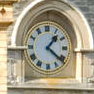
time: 1:21
